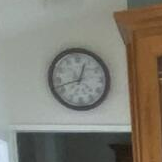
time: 12:42
